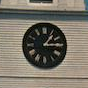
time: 1:14
